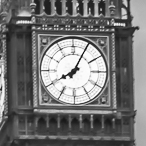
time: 8:04
